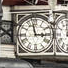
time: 2:58
